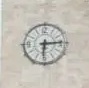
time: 6:14
